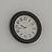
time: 9:42
